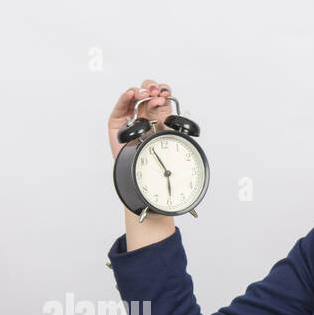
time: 5:55
